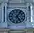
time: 5:05
